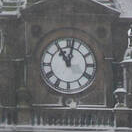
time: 11:02
